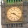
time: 9:21
